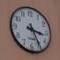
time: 3:24
